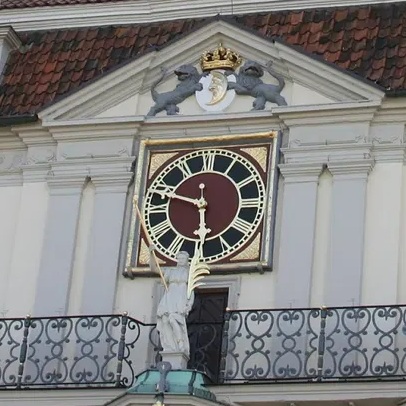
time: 5:48
